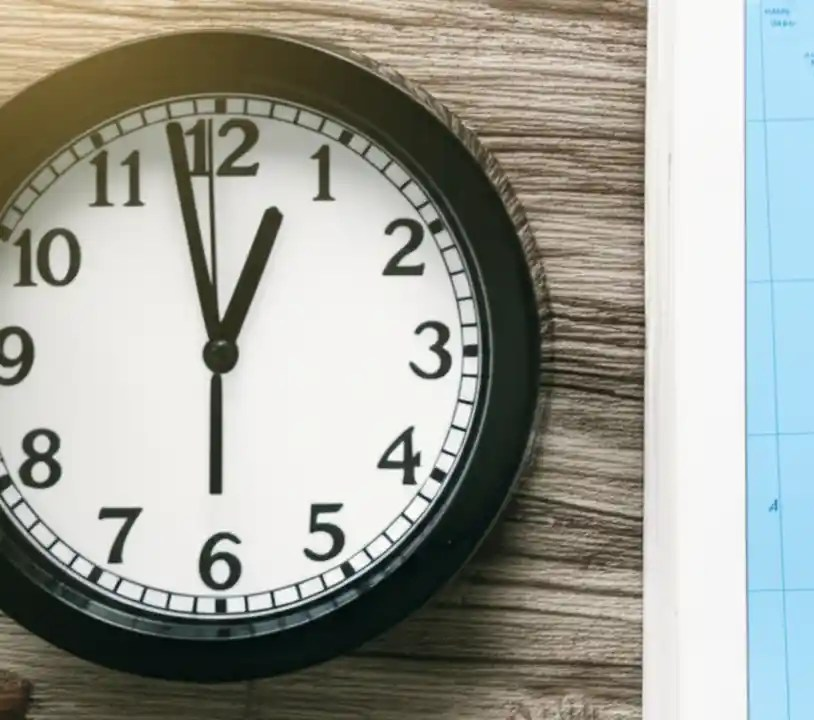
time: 12:57
